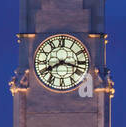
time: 8:17
